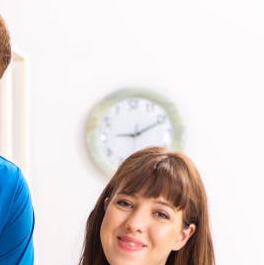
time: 9:10
